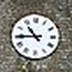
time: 10:44
